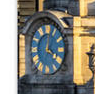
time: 4:01
